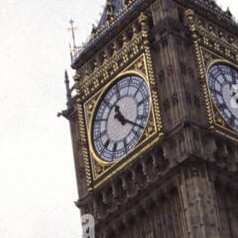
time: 11:21
